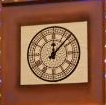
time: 12:07
